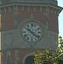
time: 10:22
